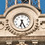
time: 6:25
